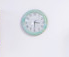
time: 3:30
